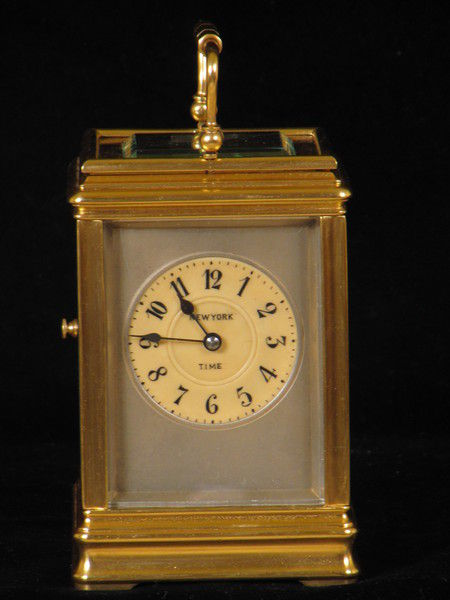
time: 10:45
